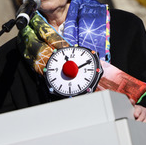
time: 11:10
